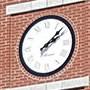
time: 2:08
